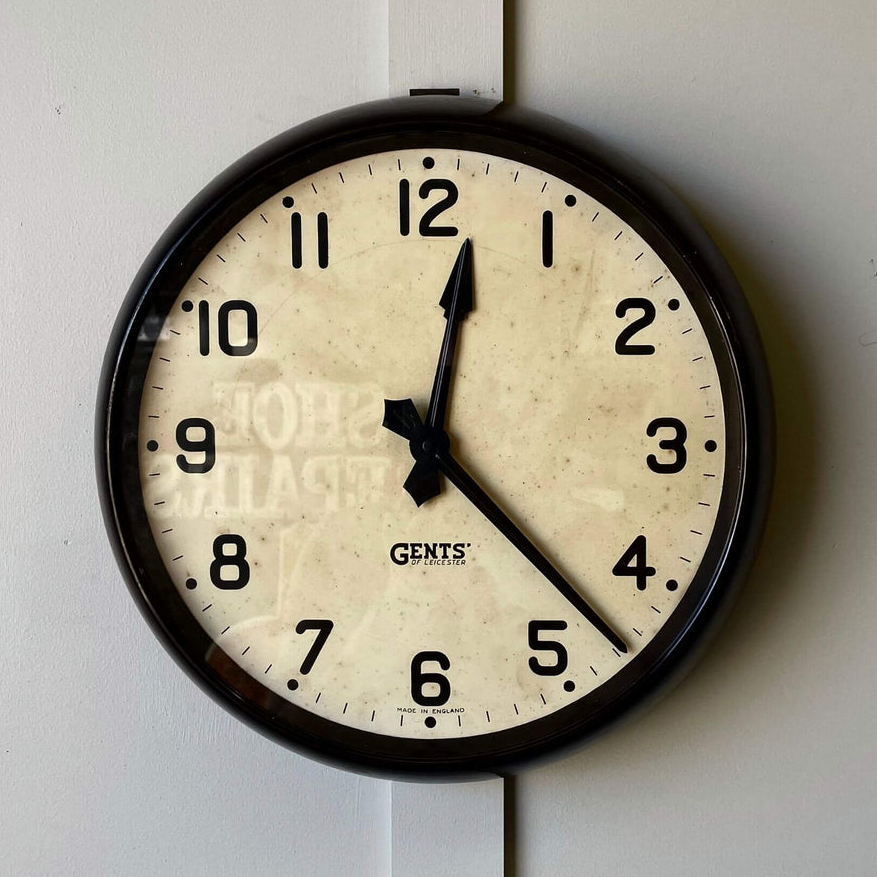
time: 12:22
